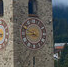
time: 8:49
